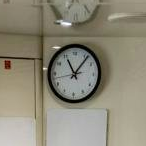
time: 11:06
